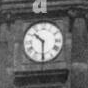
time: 10:30
